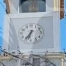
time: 6:36
